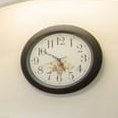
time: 4:50
